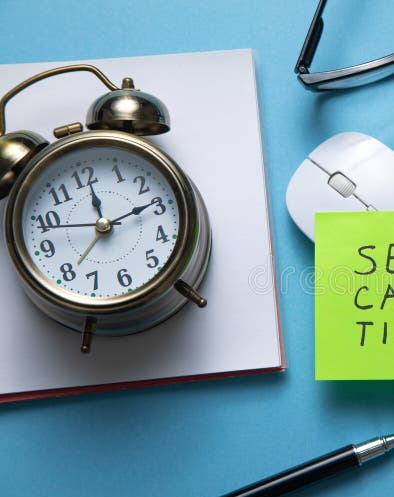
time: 12:13
